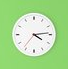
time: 4:13
